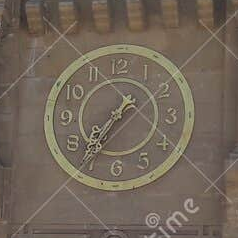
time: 7:36
